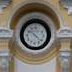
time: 10:22
